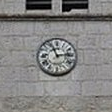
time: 2:56
